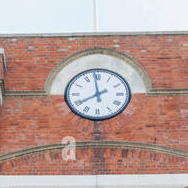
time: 7:58
